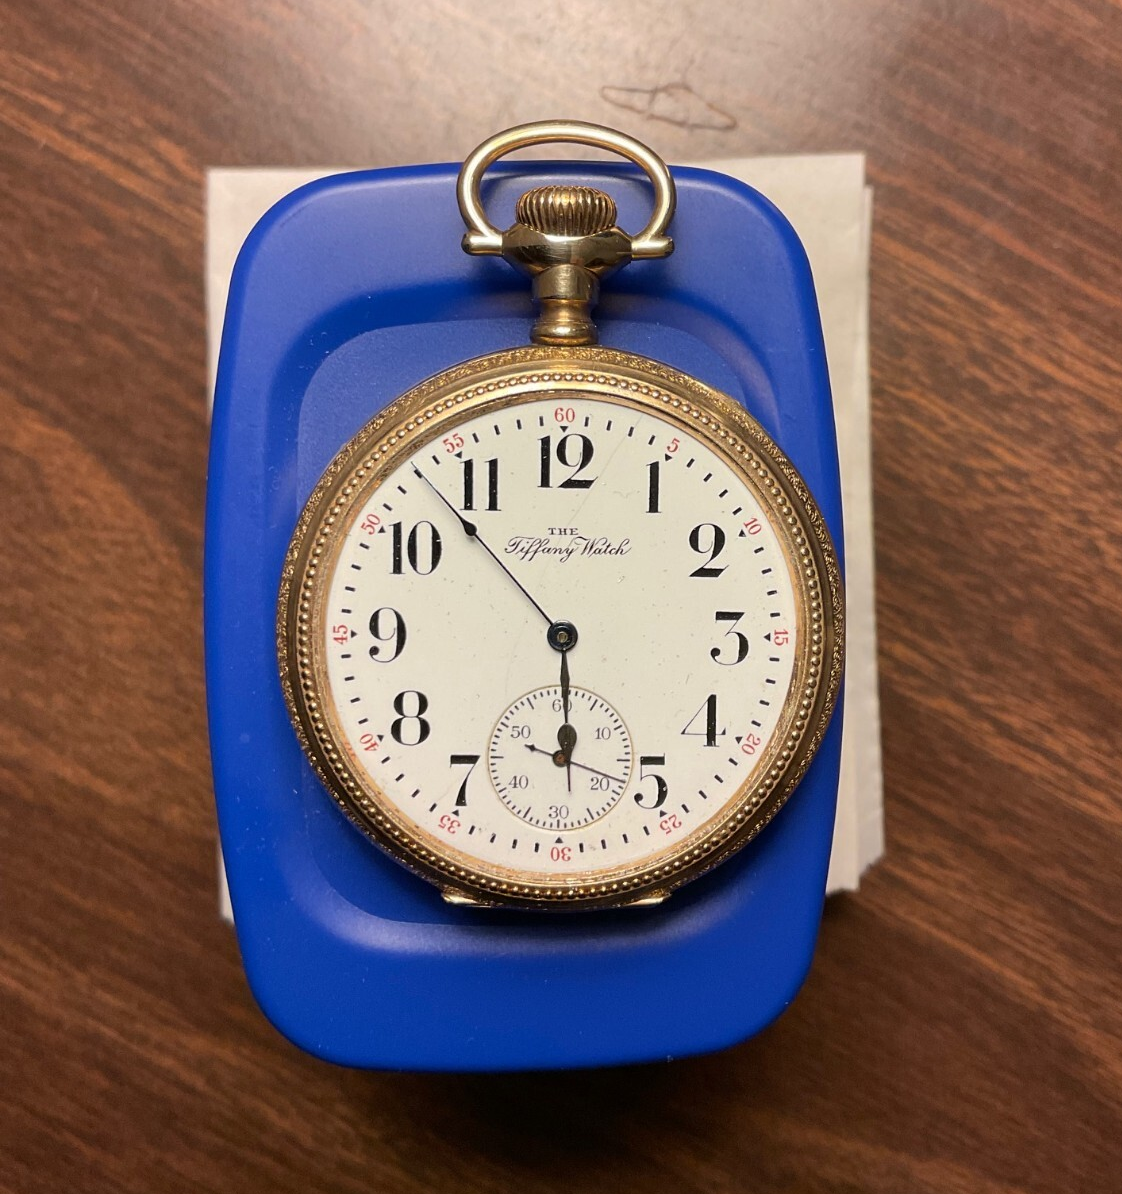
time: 5:53
